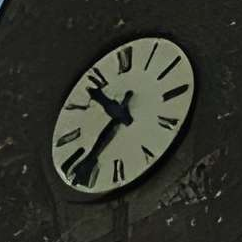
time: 10:37
